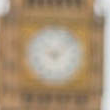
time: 5:08
